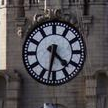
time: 4:32
